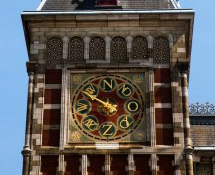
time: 9:50
